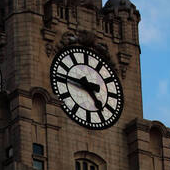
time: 4:46
